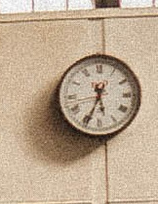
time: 5:33
